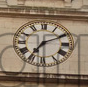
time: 7:10
